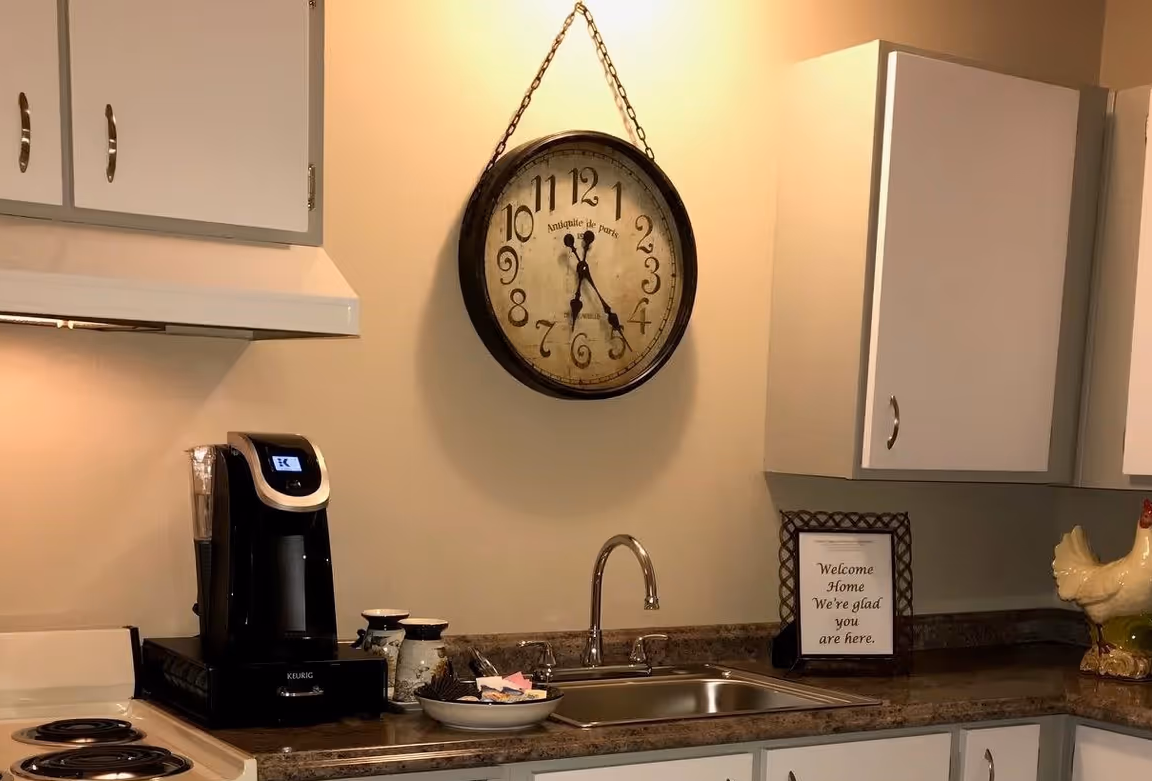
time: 6:23
